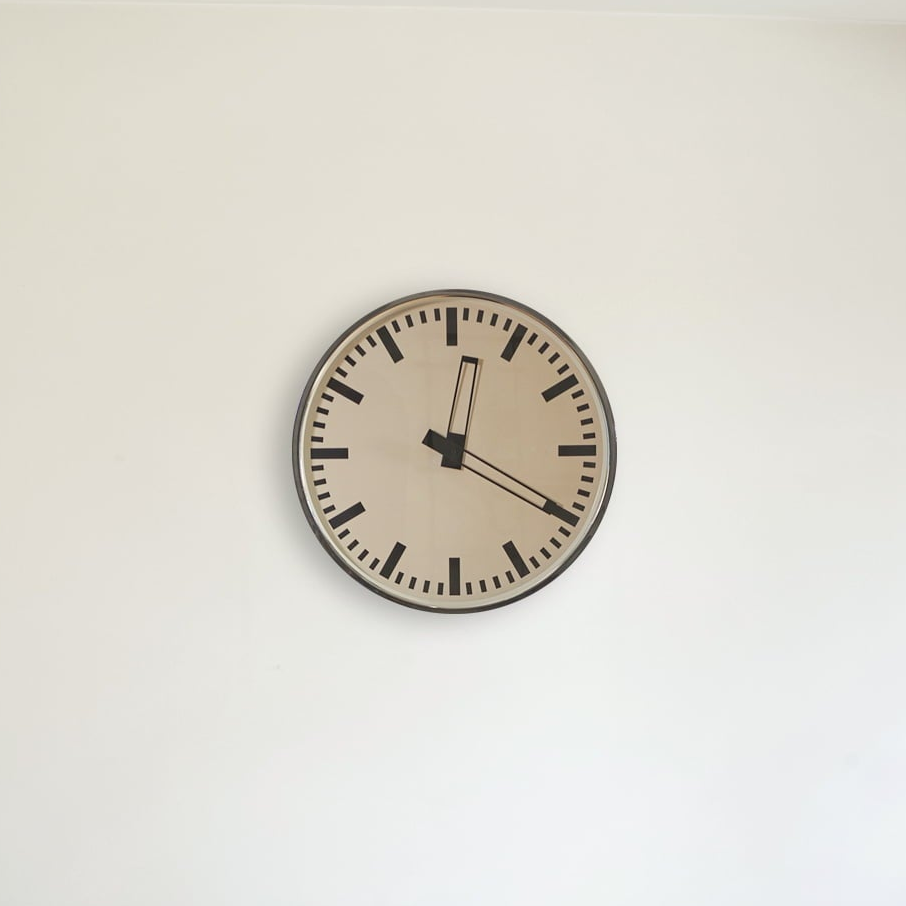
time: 12:20
